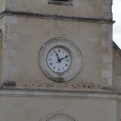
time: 11:10
